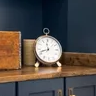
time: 11:41
